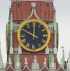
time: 10:00
